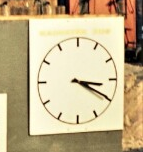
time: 3:19
